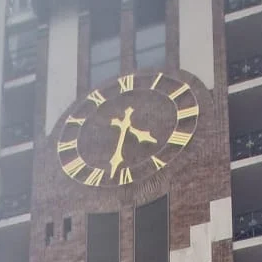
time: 4:32
